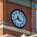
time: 4:40
